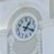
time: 1:18
